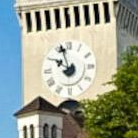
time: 9:57
